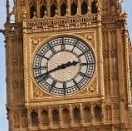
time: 2:41
